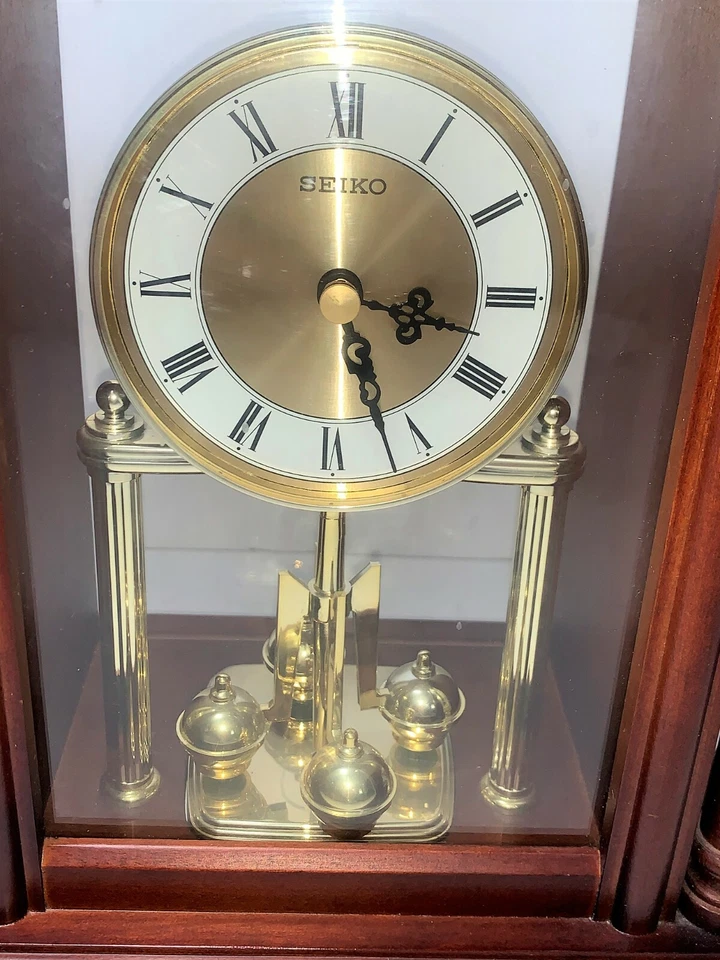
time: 3:27
